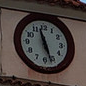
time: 11:26
